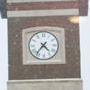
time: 4:36
